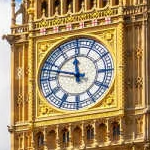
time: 11:47
